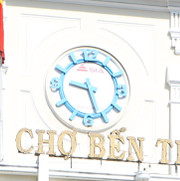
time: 9:27
